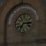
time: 7:15
